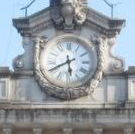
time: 5:40
